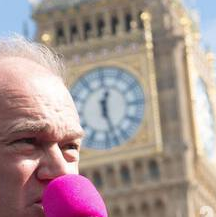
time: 12:27
